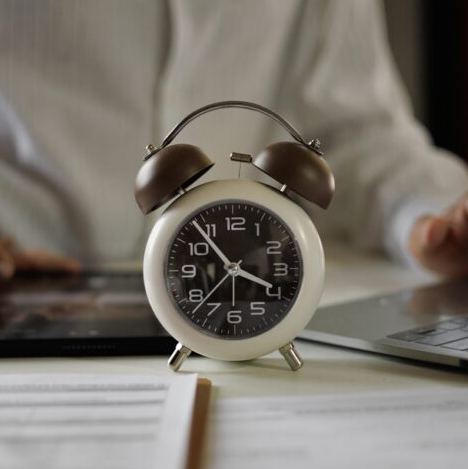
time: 3:53
